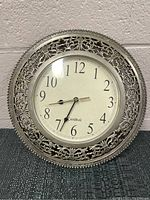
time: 8:33
